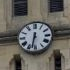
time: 6:32
